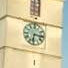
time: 6:15
